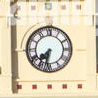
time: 7:32
